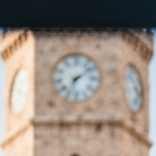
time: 7:08
